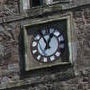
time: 12:55
